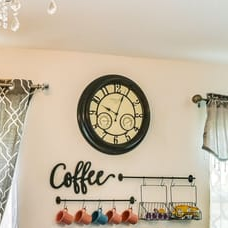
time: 10:03
